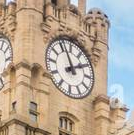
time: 1:56
